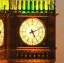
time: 5:11
